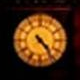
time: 4:23
